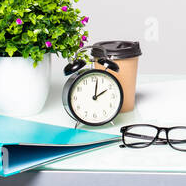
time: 2:01
